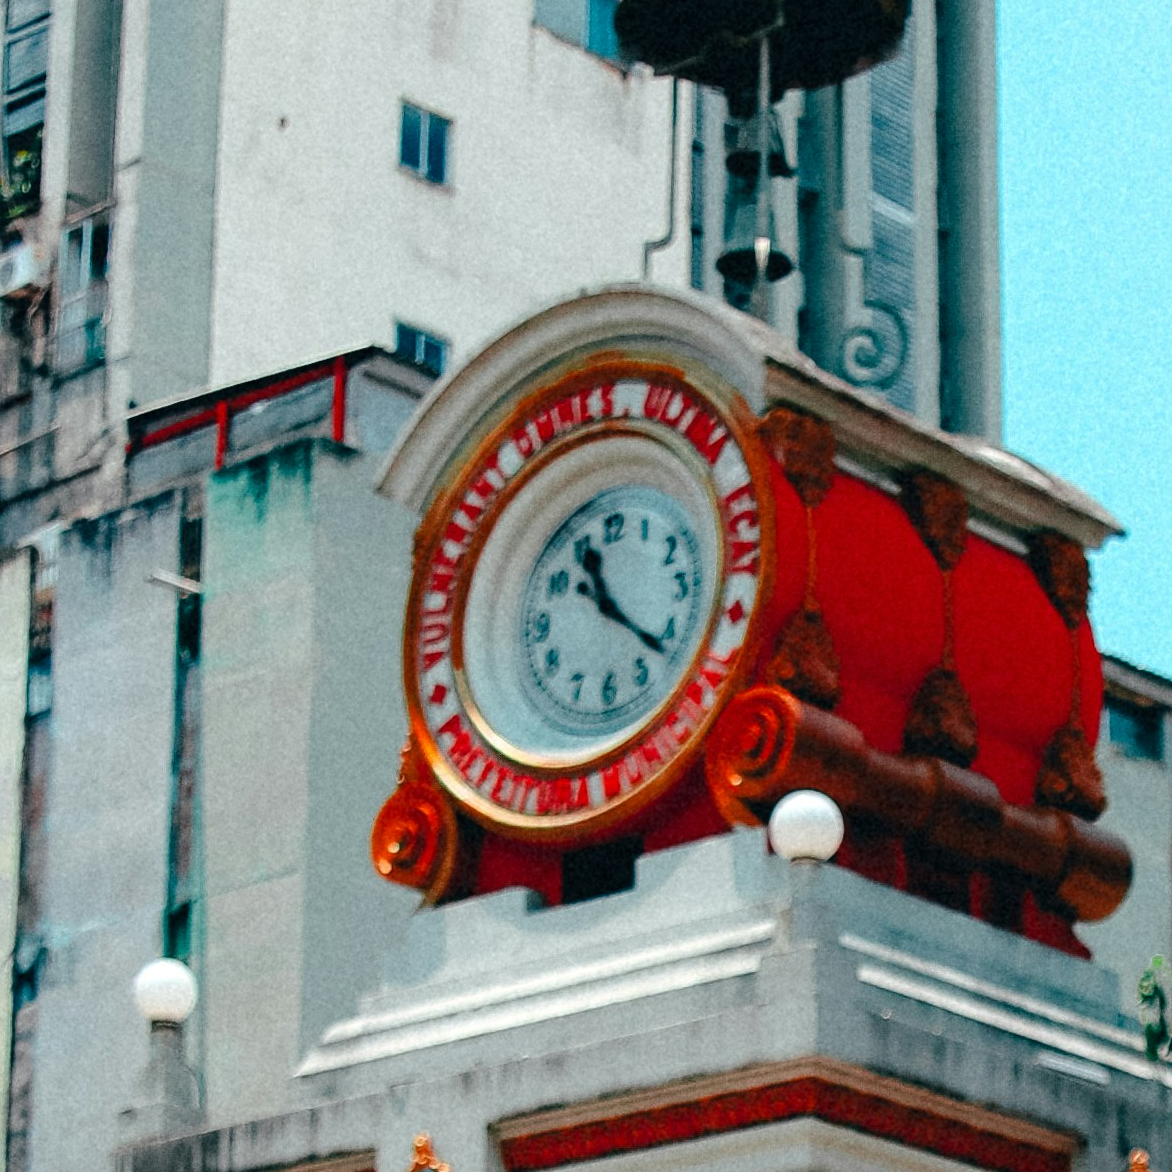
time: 11:21
